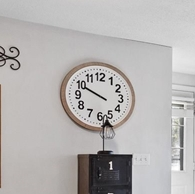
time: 9:49
